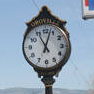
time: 11:03
